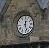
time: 12:27
